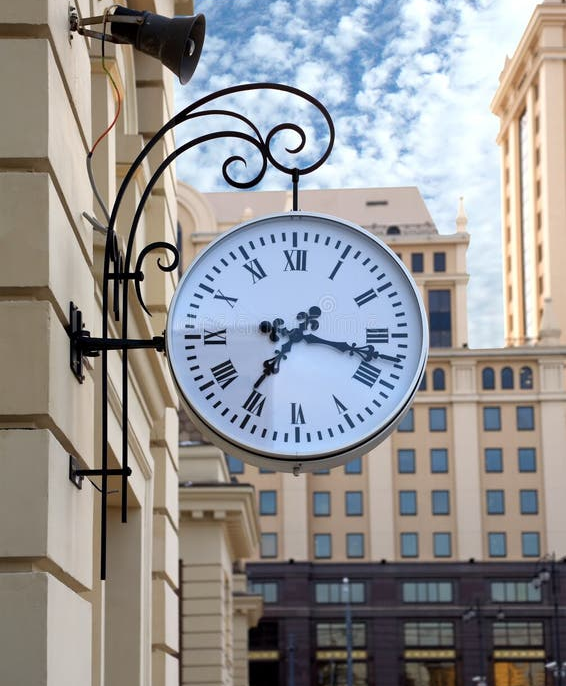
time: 7:17
